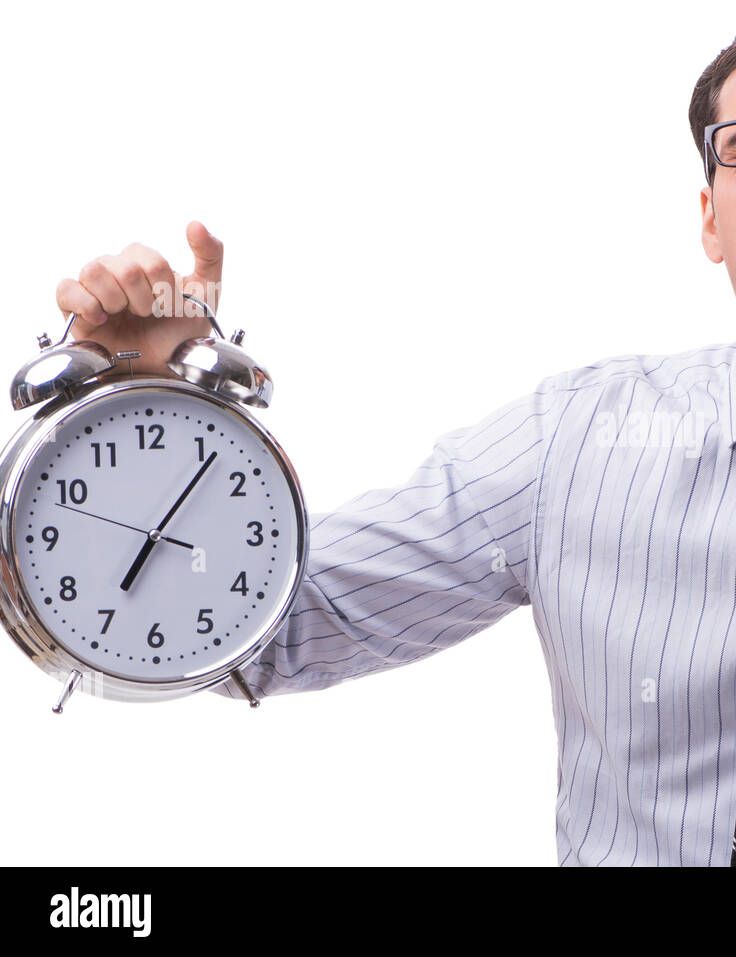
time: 7:06
